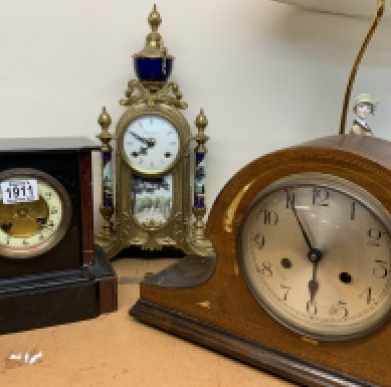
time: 5:55
